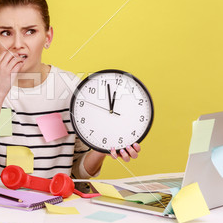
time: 11:56
